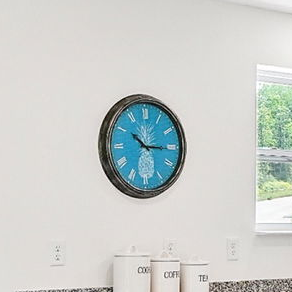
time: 10:15
